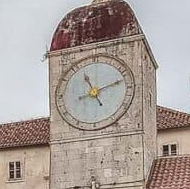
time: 11:12
